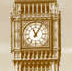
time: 11:05
